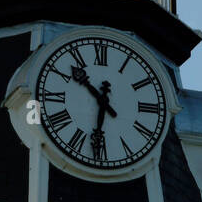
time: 10:31
